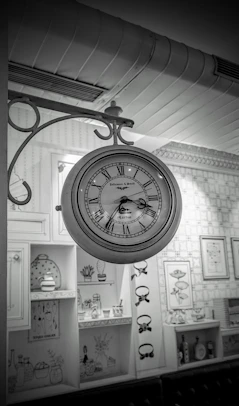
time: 3:35
